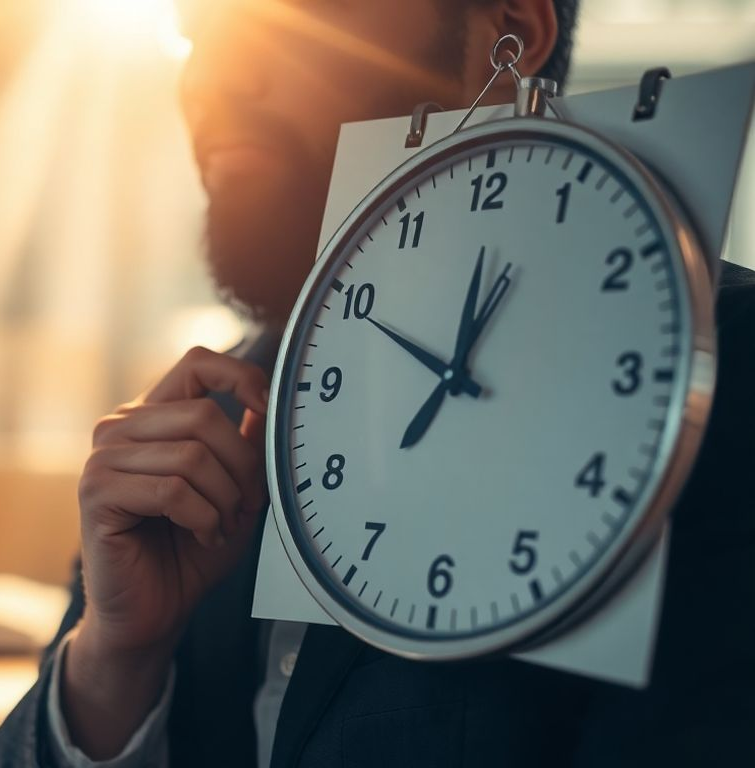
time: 12:49
